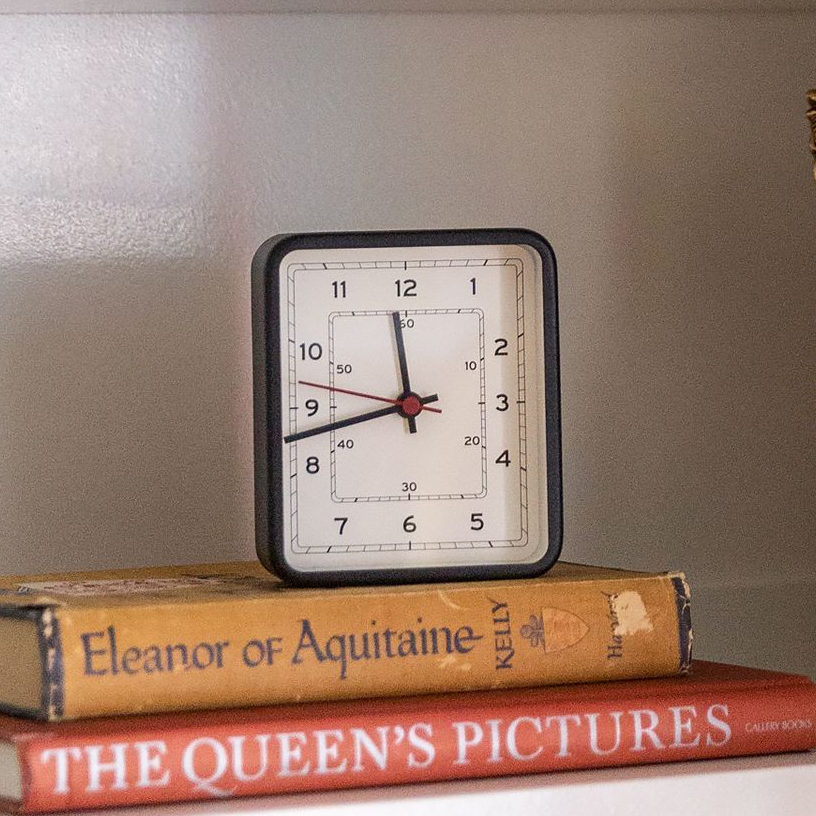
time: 11:42
